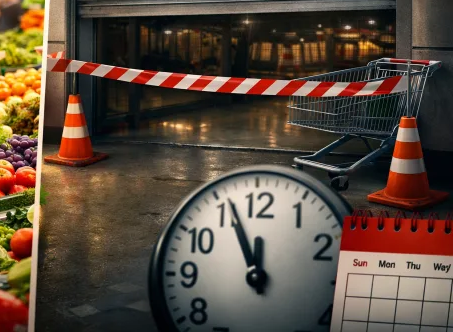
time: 11:56
